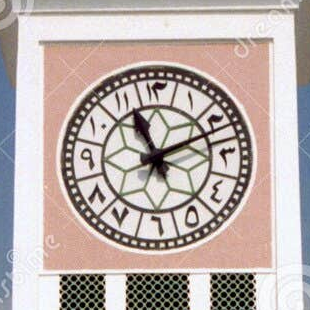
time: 11:11
